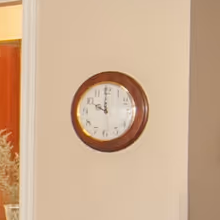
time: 9:59
